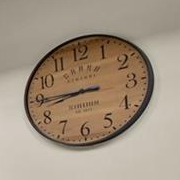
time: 8:45
